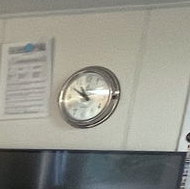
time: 10:50
